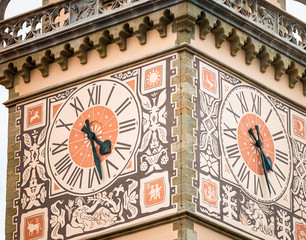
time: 4:27
